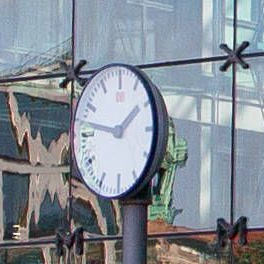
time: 1:46
